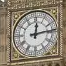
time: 12:13
